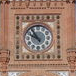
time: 9:54
